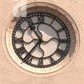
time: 10:36
